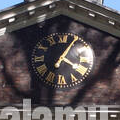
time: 4:04
